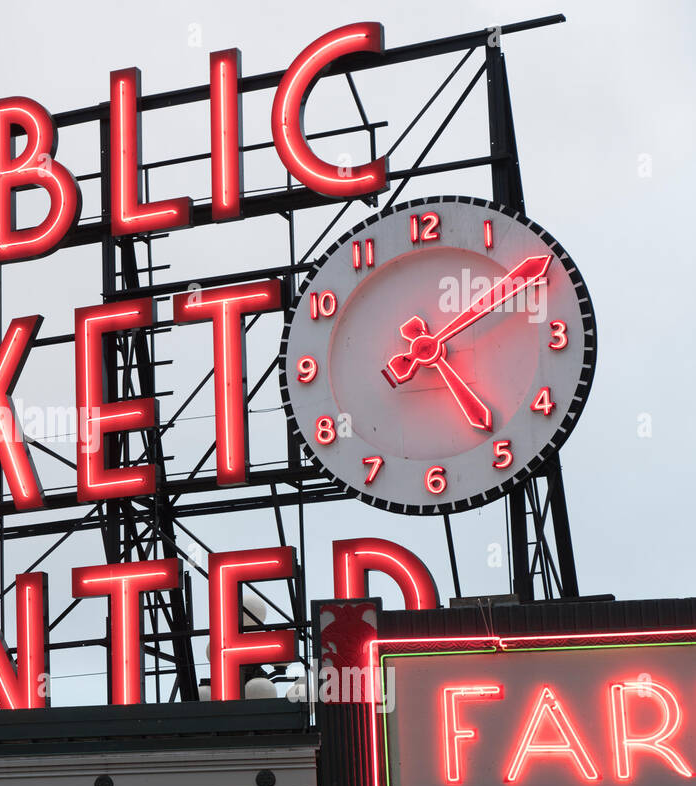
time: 5:09
